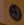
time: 11:46
